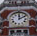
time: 2:00
